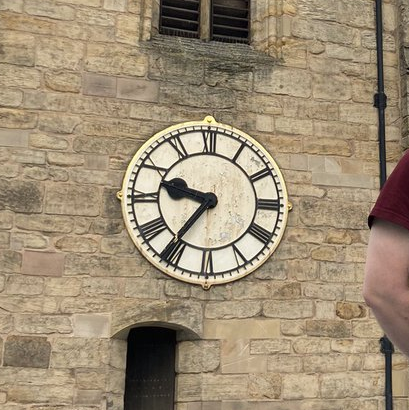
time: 9:36
